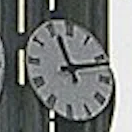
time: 11:11
